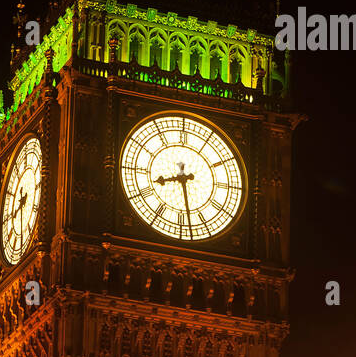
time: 8:28
